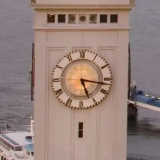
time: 5:16
